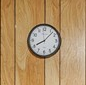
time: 8:07
